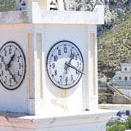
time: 1:18
